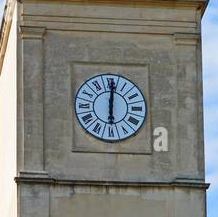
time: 6:00
